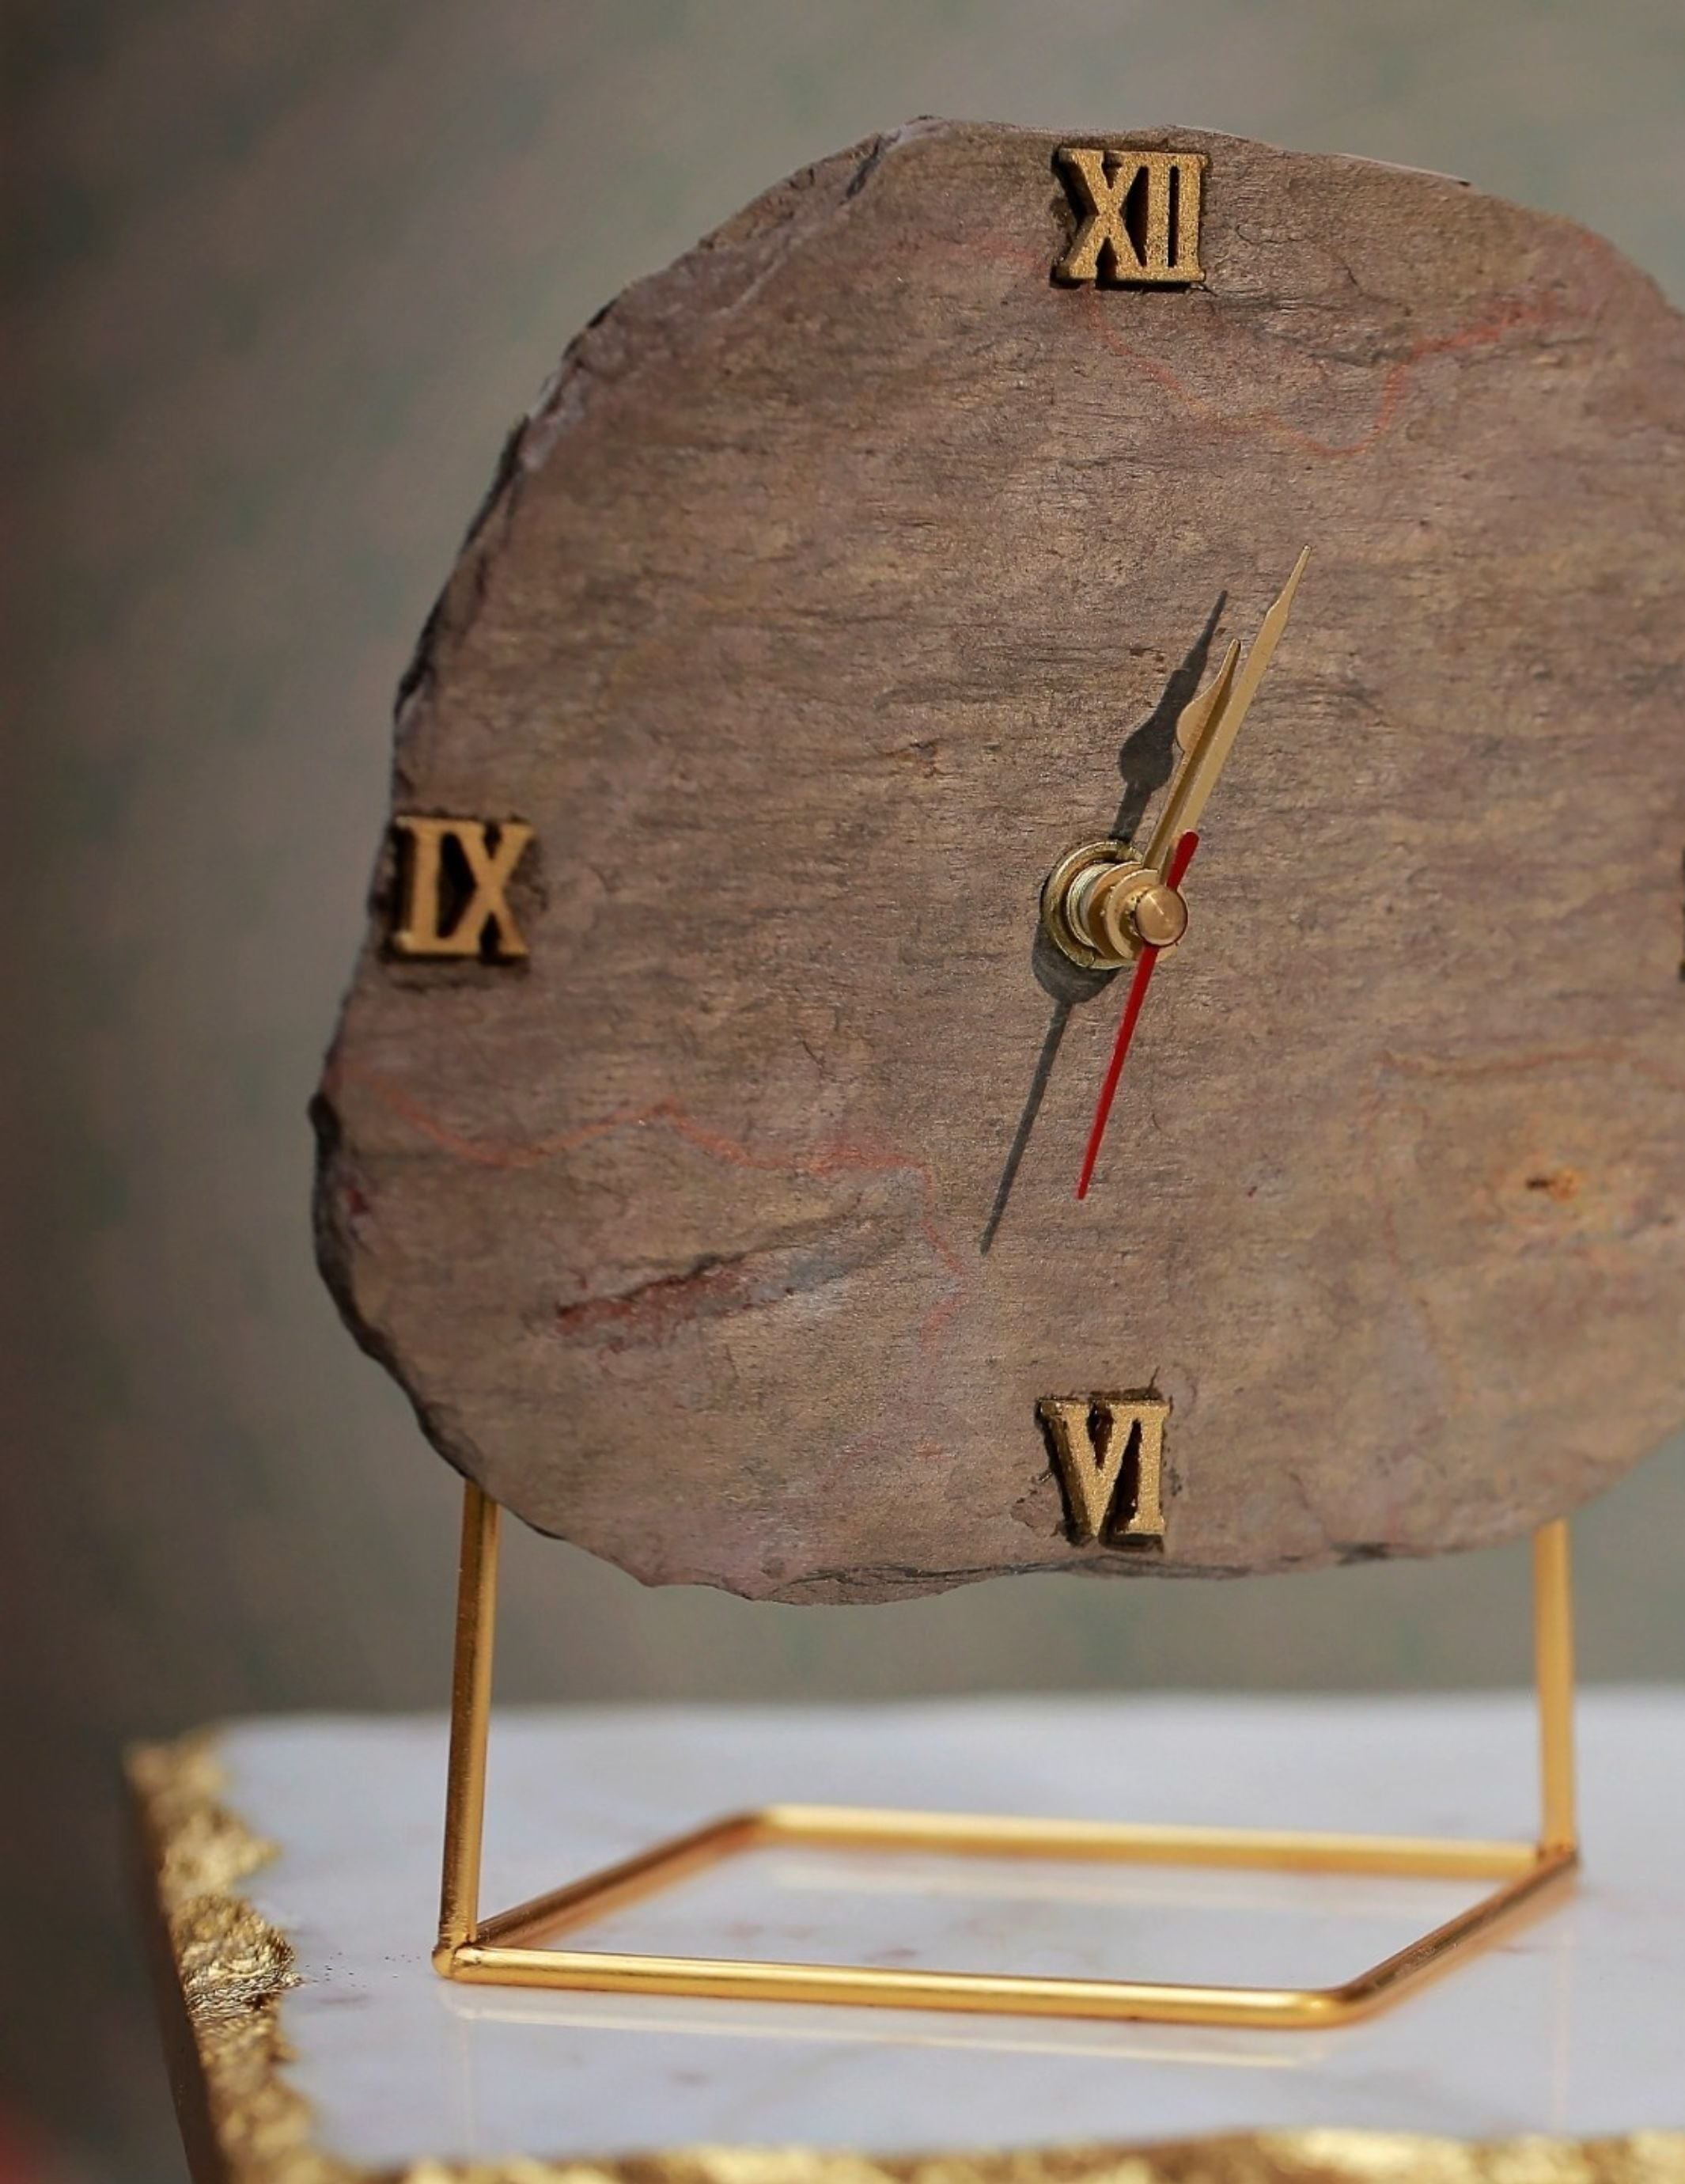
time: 12:32
